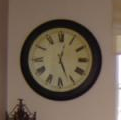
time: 12:26
